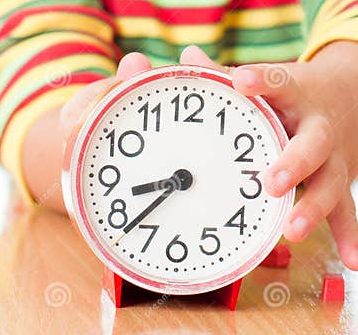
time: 8:37
